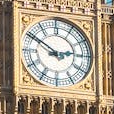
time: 2:50
